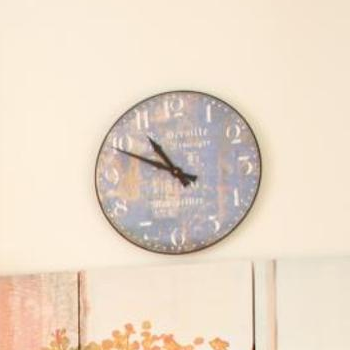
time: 10:49
